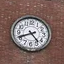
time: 4:41
